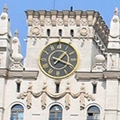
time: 1:18
